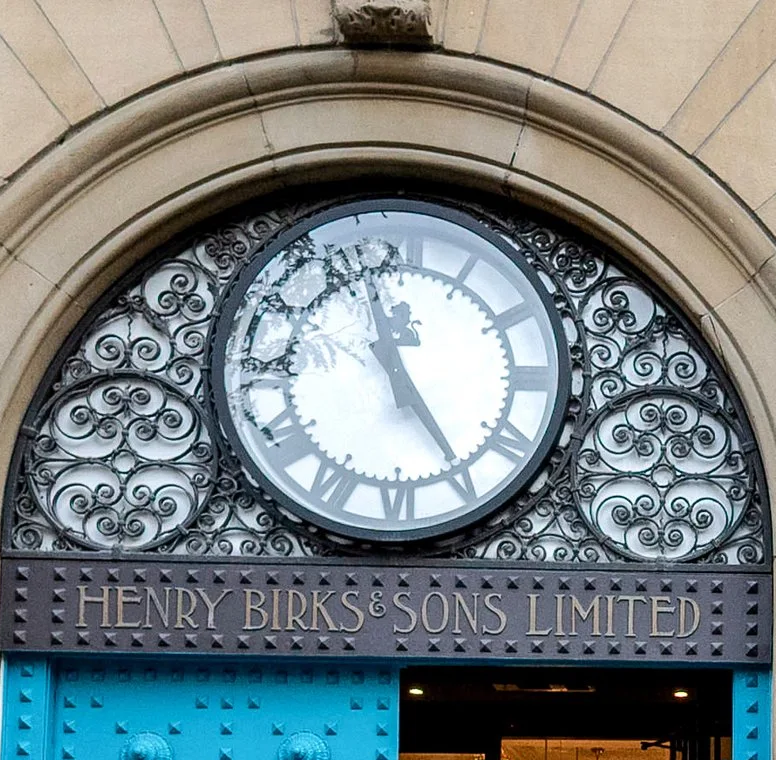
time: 11:24
